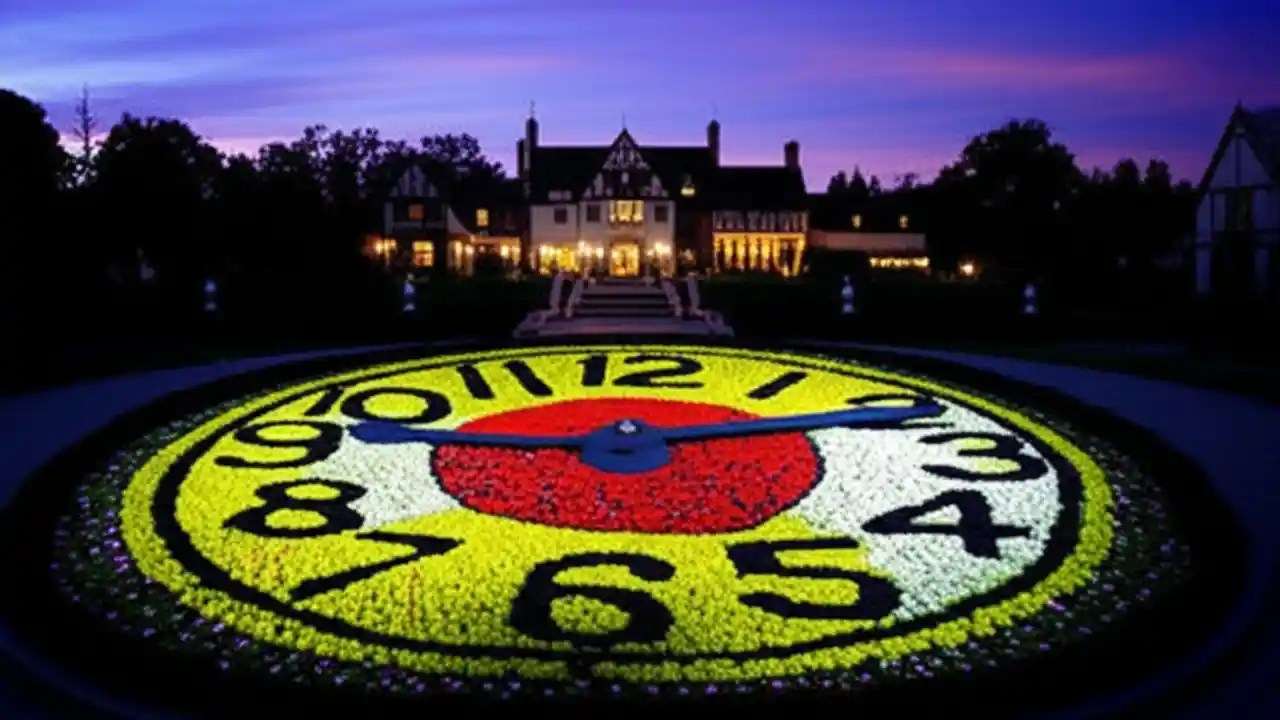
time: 9:12
